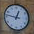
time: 12:46
